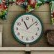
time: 11:08
